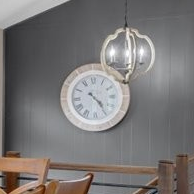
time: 4:23
